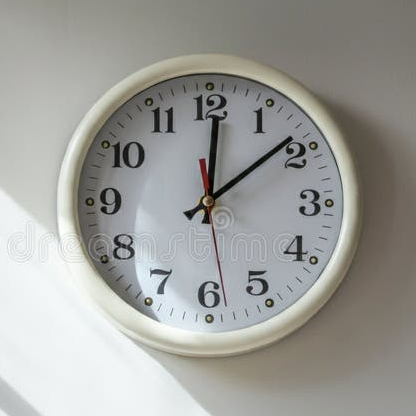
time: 12:08
